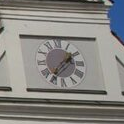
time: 1:37
